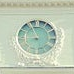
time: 8:56
